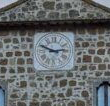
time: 2:48
